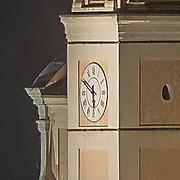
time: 5:49
